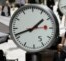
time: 1:41
